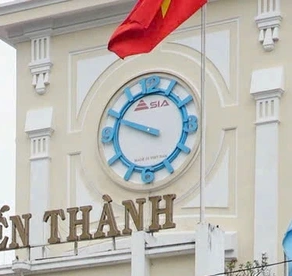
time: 9:48
